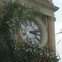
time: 3:12
